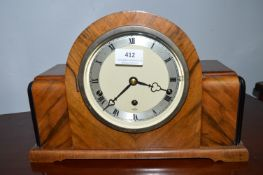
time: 3:37
